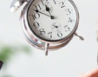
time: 11:52
